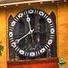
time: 11:40
